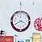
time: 3:40
